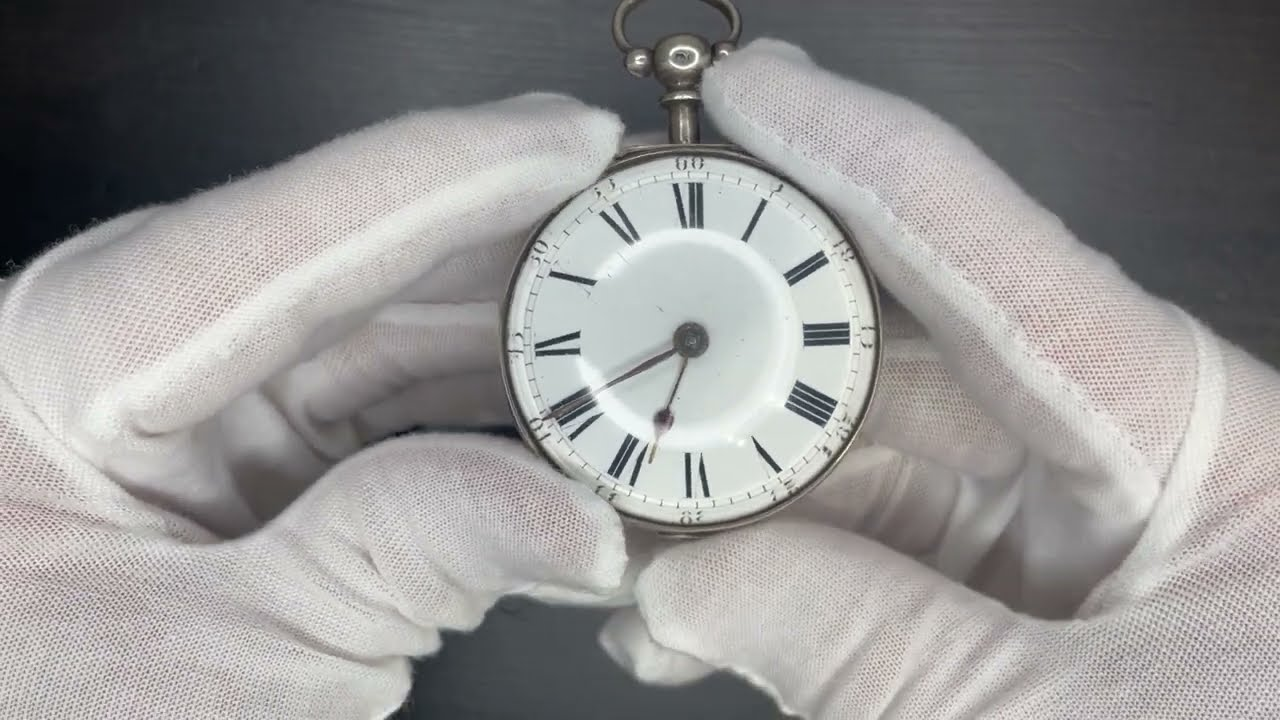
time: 6:40
